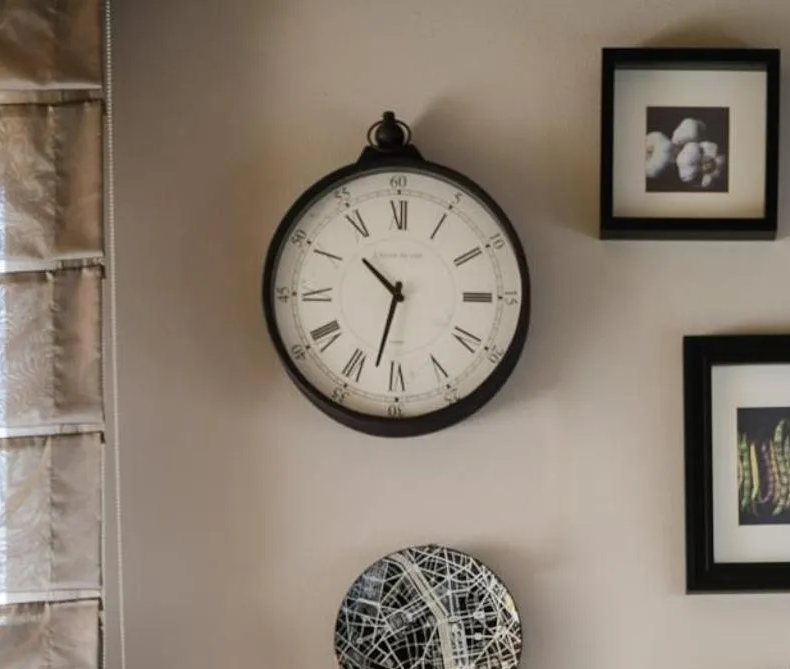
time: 10:32
